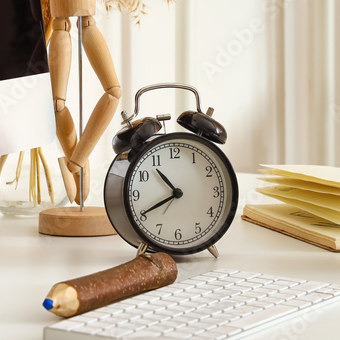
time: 10:40
